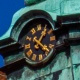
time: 1:20
